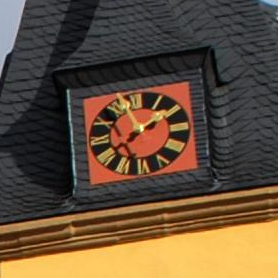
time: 1:56
